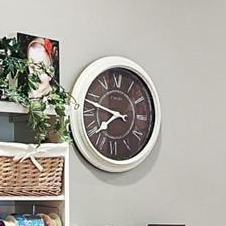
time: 7:47
